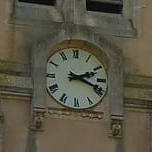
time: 2:18
